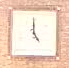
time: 4:59
